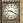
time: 9:20
